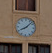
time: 8:07
